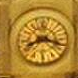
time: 8:17
